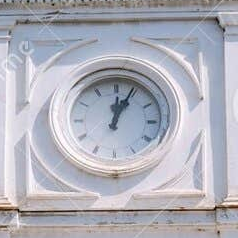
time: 12:04
